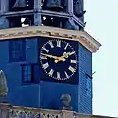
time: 1:46
